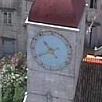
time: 10:40
